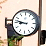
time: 8:46
